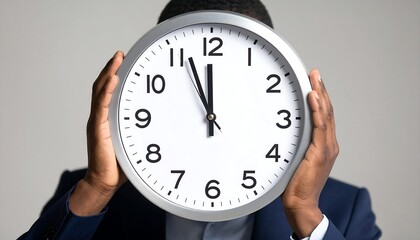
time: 11:56
